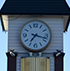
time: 7:17
